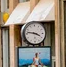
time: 3:46
